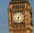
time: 6:06
